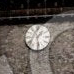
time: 1:28
